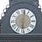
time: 6:01
